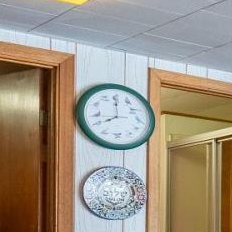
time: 7:59
